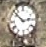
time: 2:52
